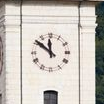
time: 11:51
